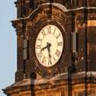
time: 8:28
